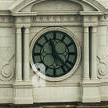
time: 11:22
